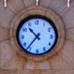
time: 10:36
